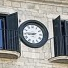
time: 8:45
